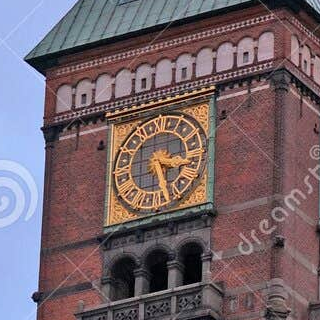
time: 3:26
